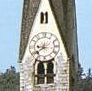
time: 8:38
